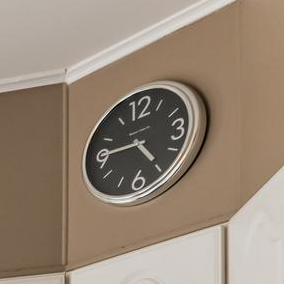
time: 4:45
